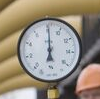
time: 7:00
